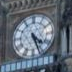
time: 4:26
